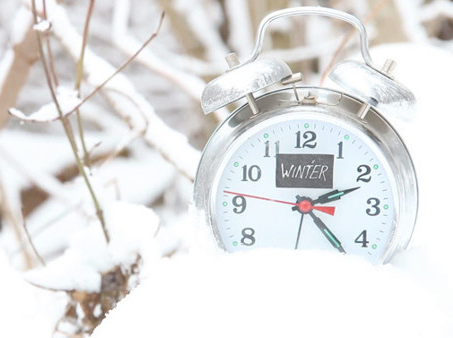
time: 2:22
